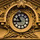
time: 10:43
